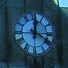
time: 12:19
